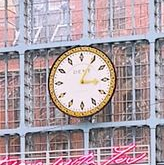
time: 3:04
